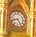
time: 8:25
